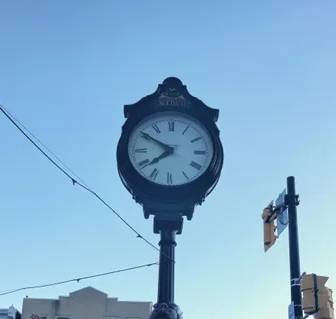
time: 7:50
